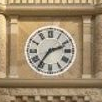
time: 2:36
